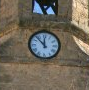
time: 11:52
